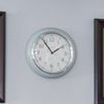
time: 1:54
